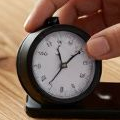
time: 11:36
